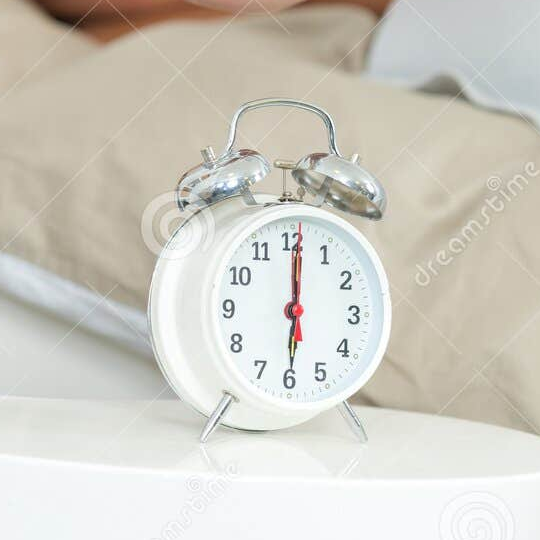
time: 6:00
